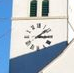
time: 3:08
